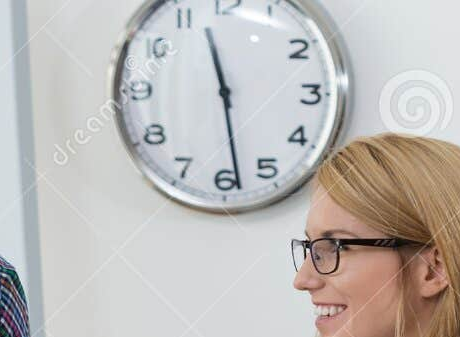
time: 11:28
